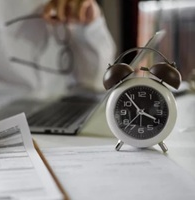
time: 3:53
